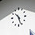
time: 10:26
